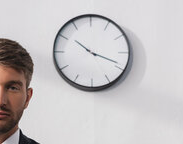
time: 10:18
